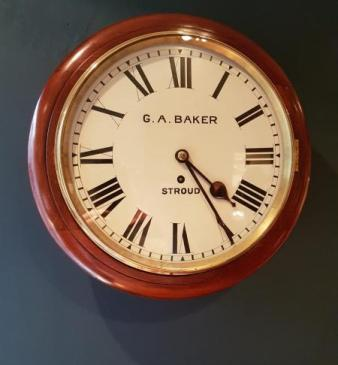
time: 4:24
